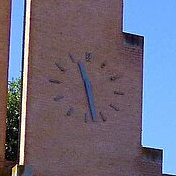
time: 11:28
